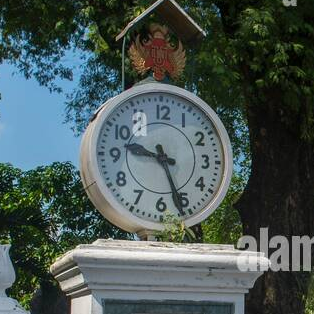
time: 9:26
